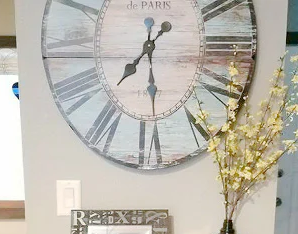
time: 7:28
